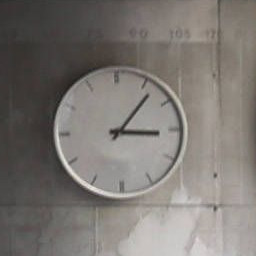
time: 3:06
